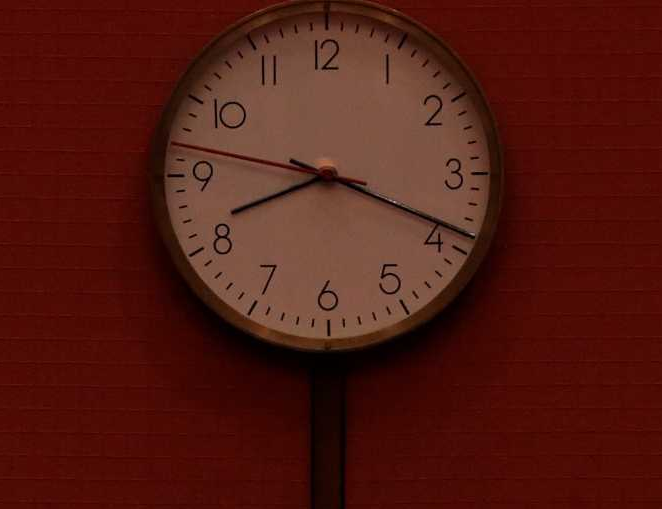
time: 8:18
